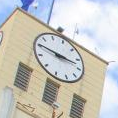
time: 3:50
